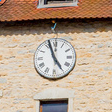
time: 4:56
